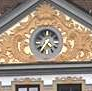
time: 4:35
